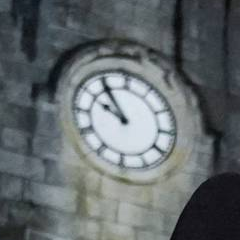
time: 9:54
